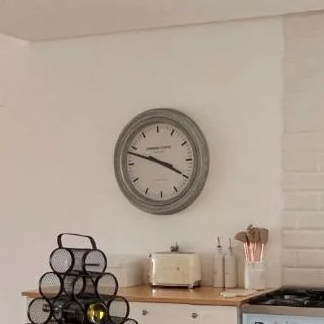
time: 3:48
